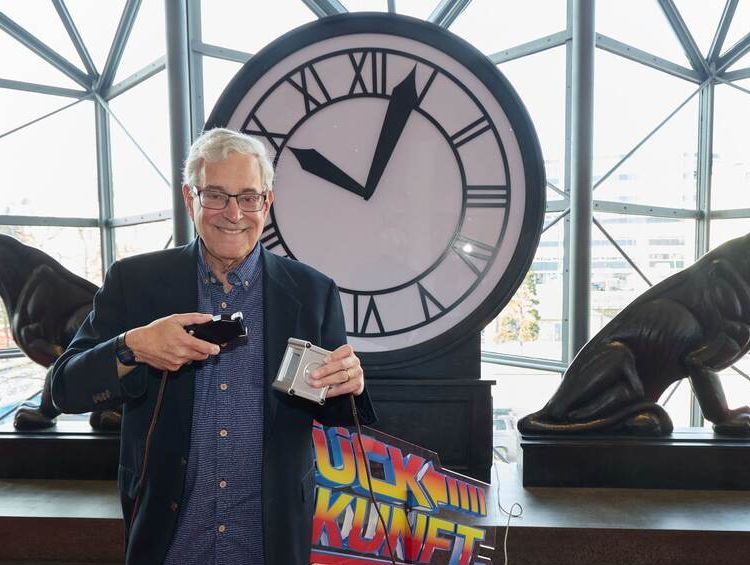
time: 10:03
